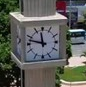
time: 11:47
